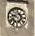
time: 9:36
